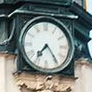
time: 7:24
